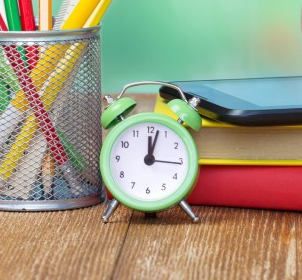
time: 12:02
